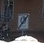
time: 1:37
